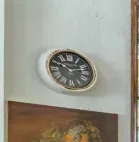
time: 9:12
